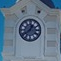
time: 12:38
